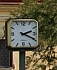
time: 2:19
